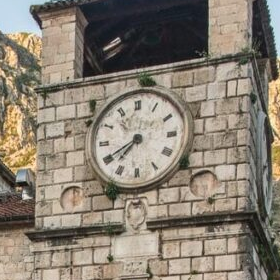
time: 7:40
